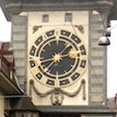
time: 8:37
